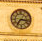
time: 7:16
